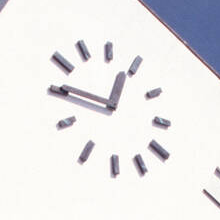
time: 12:46
